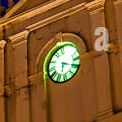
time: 6:18
